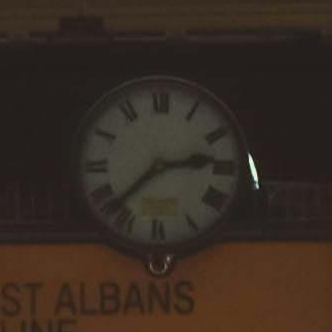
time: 2:37
